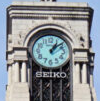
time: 1:08
